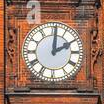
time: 2:01
